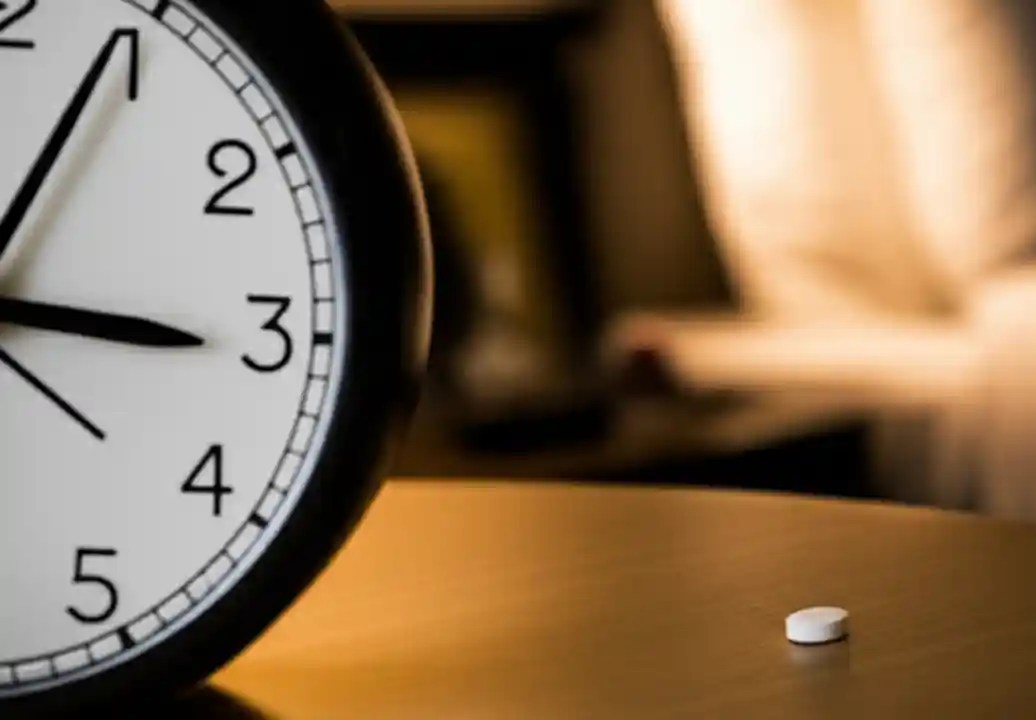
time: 3:04
